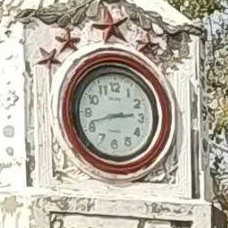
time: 2:41
